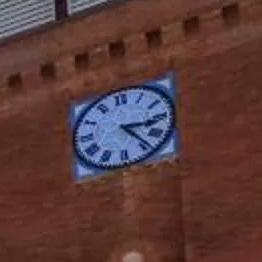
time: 3:23
